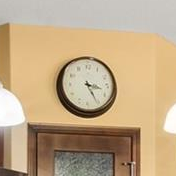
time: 3:25
